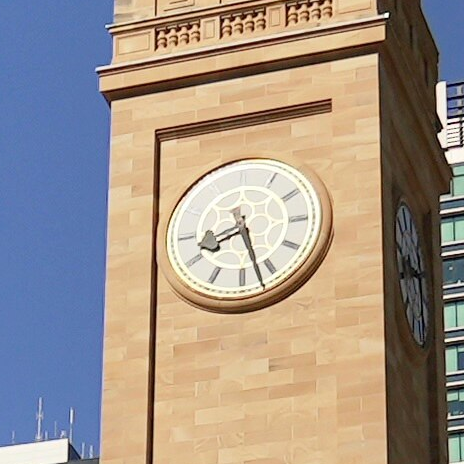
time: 8:27
